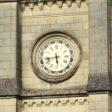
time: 5:42
